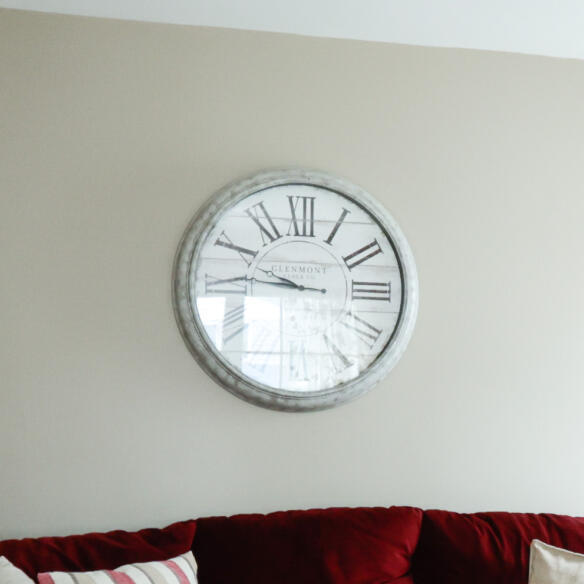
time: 9:45
